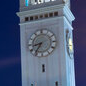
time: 8:35
